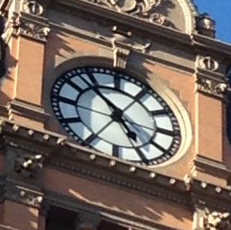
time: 4:52
